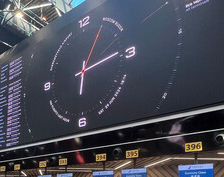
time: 6:13
